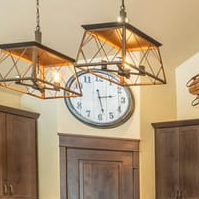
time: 2:28
